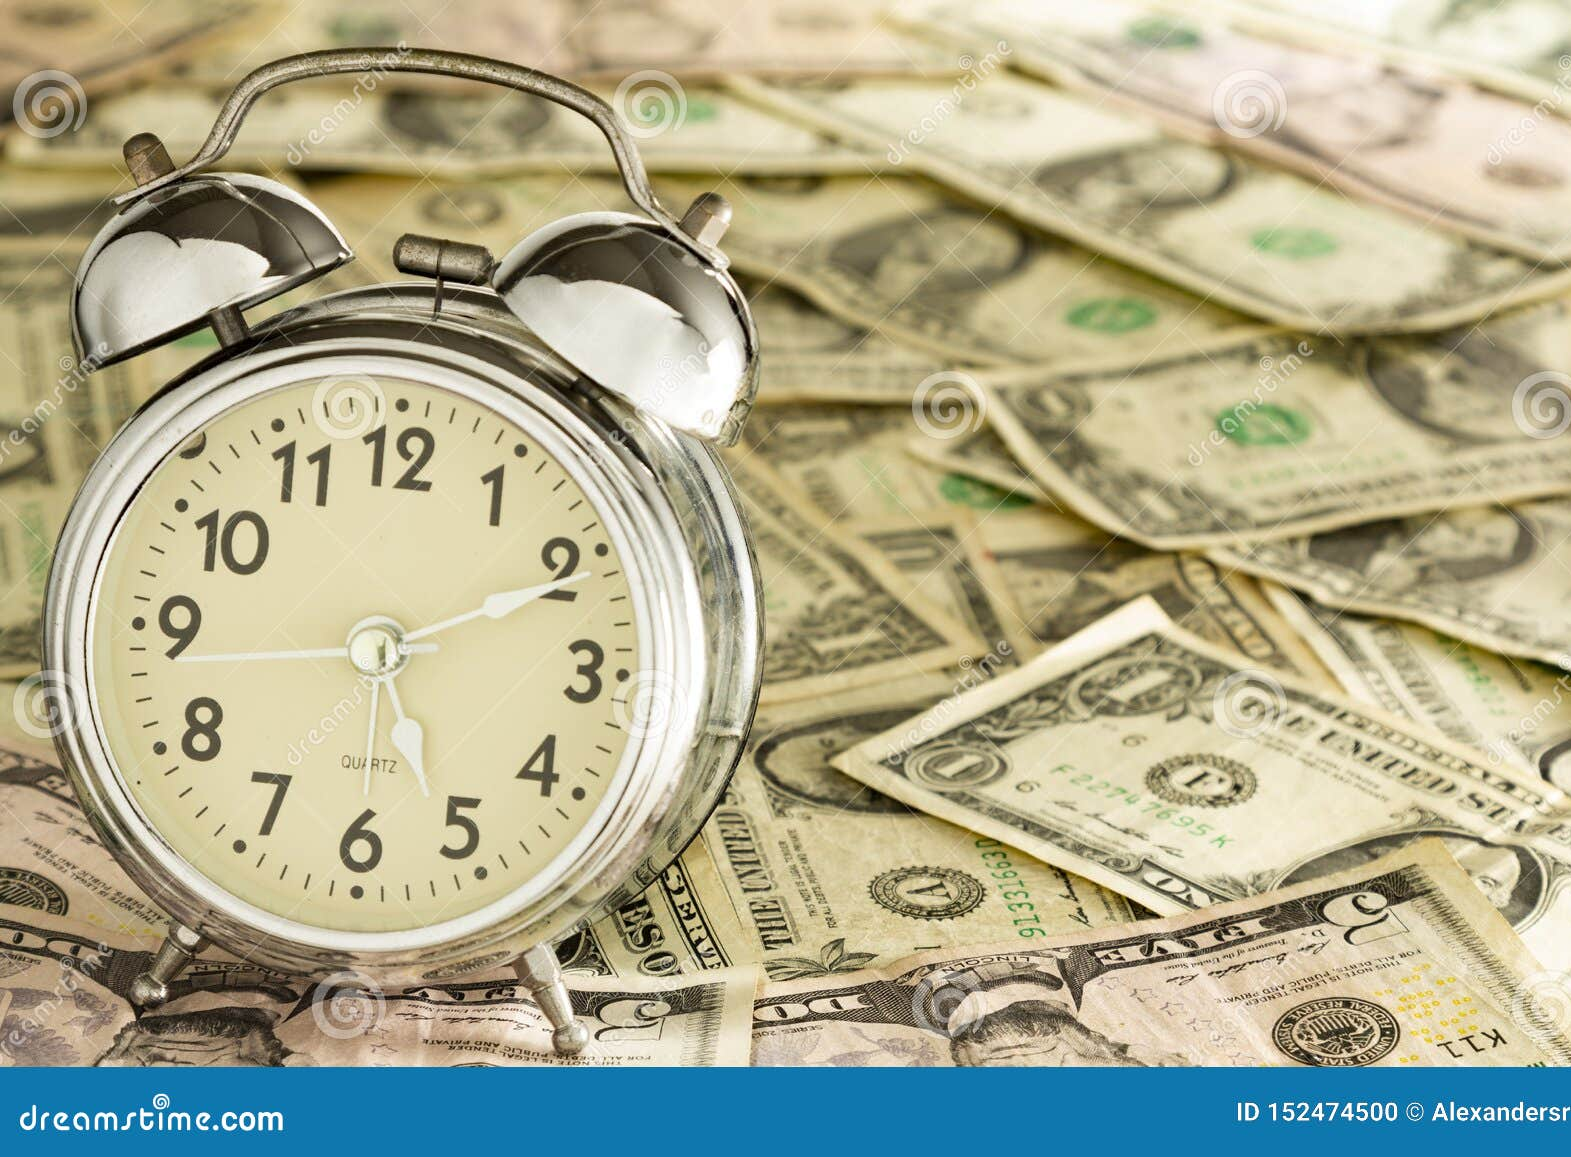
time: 5:11
